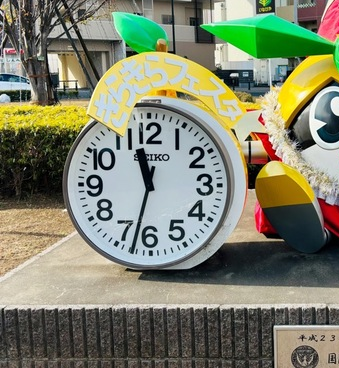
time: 11:32
